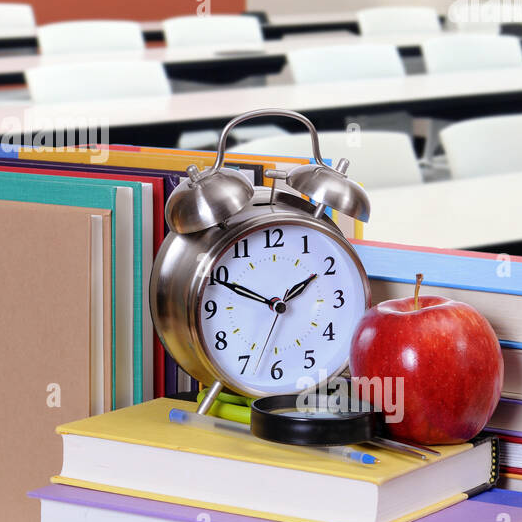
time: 1:49
